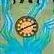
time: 8:11
